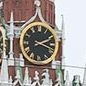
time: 2:18
